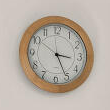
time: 3:25
